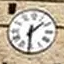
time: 1:30
